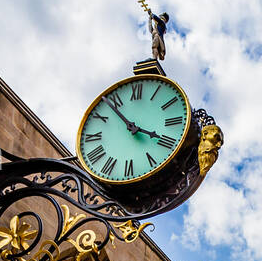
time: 3:53
